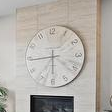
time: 5:44
